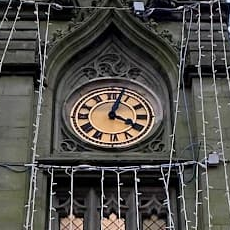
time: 4:03
